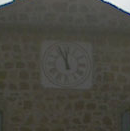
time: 11:56
